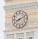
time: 8:11
